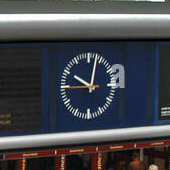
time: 10:03
